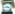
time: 3:43
